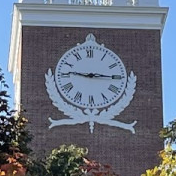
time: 9:15
